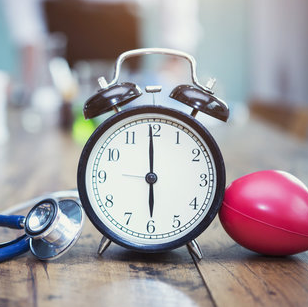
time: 5:59
